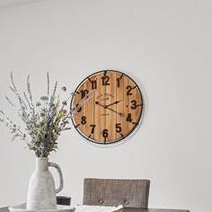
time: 2:19
